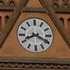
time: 8:19
